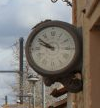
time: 9:51
